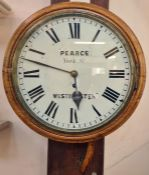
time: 5:47
